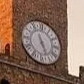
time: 5:26
